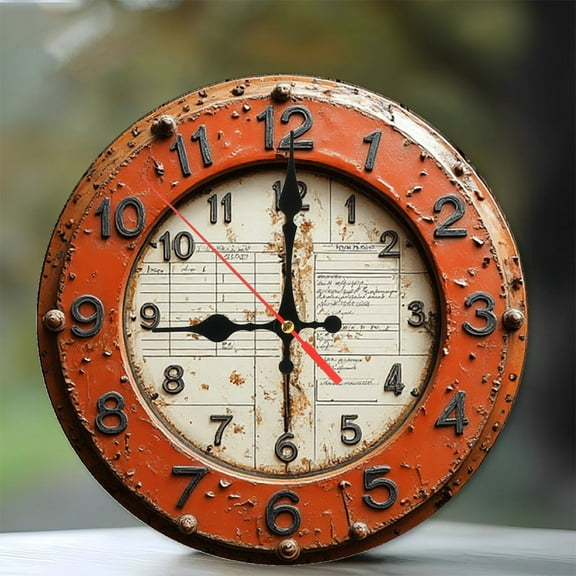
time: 9:00
